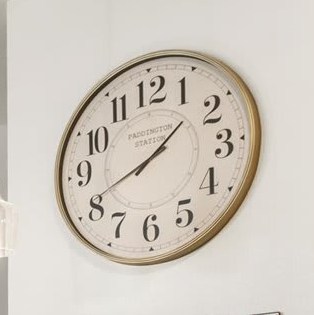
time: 1:40
